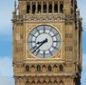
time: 8:38
